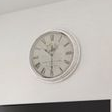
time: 10:30
